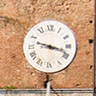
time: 3:17
